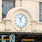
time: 11:03
